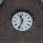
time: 11:33
